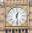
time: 12:28
